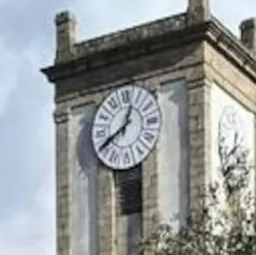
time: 12:40
